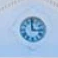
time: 2:59
